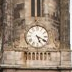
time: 5:18
